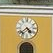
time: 4:37
